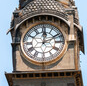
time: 12:10
